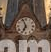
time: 6:56
